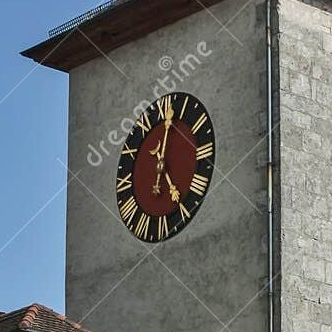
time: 5:02
